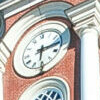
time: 6:15
